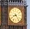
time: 8:23
